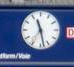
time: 11:28
